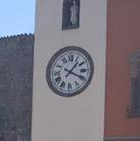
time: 1:19
